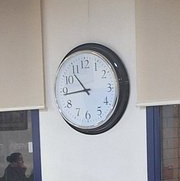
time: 10:43
